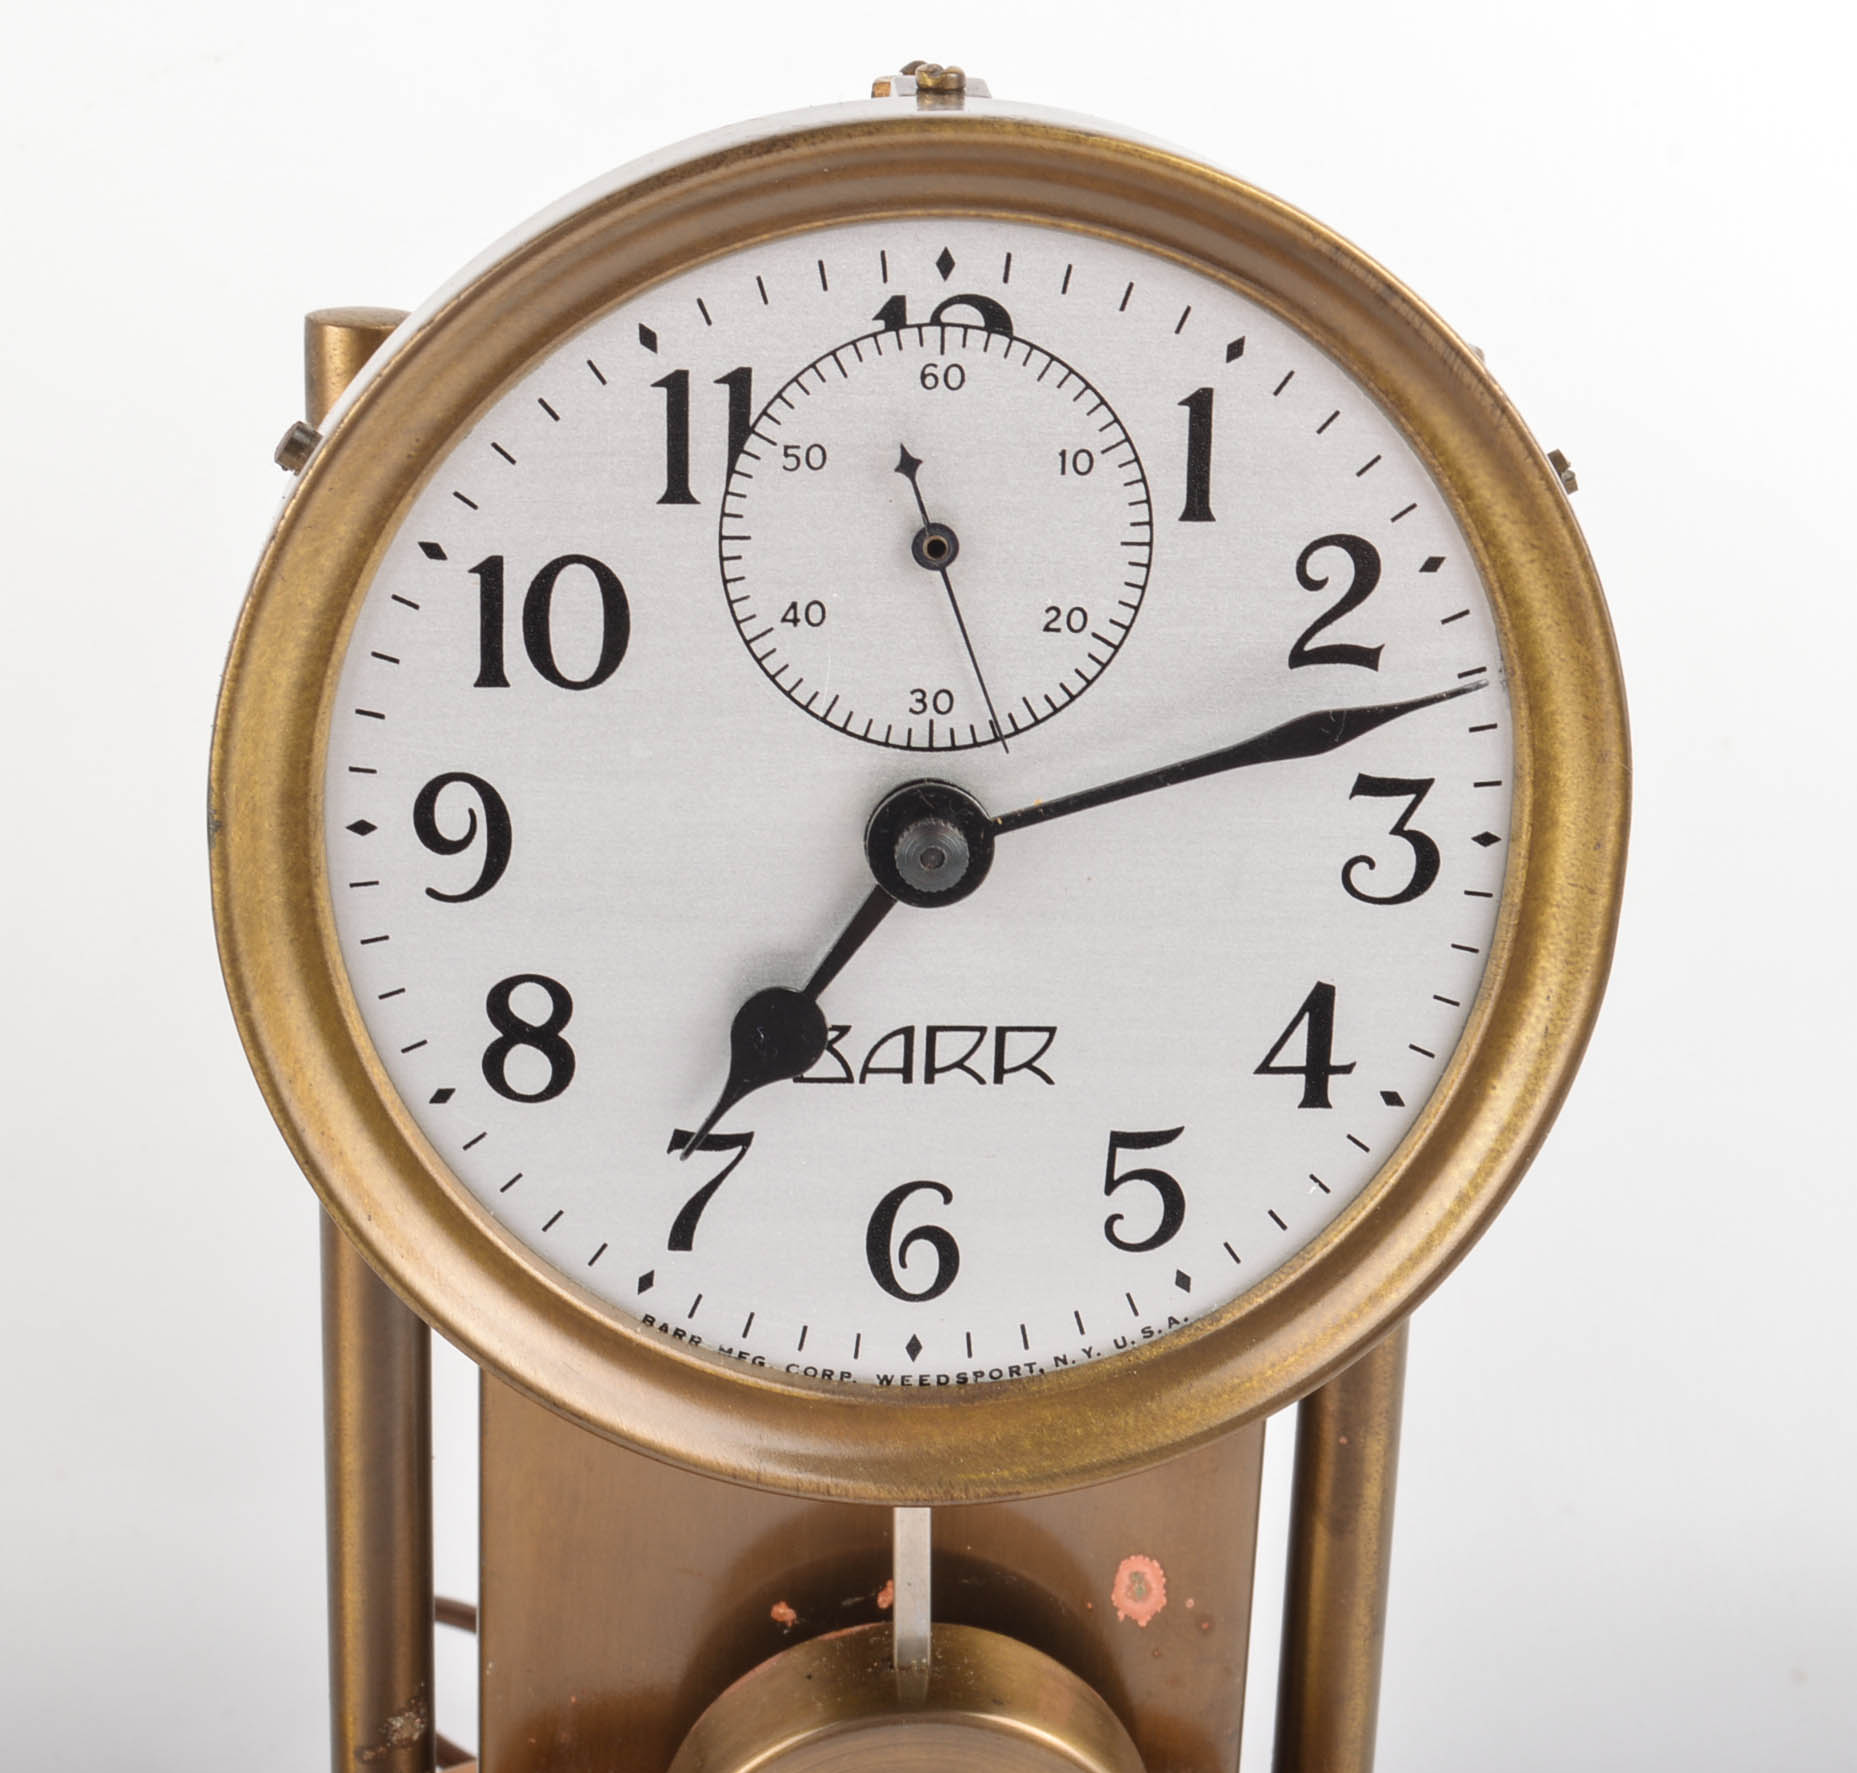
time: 7:12
